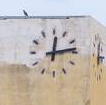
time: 12:13
